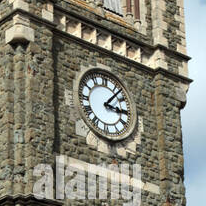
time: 3:06
